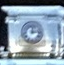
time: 12:13
